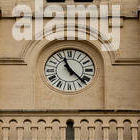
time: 11:22
